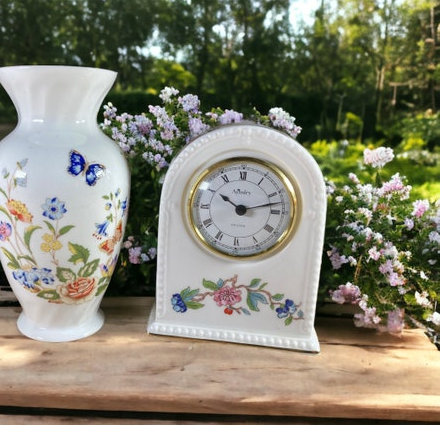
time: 10:12
